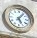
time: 5:06
